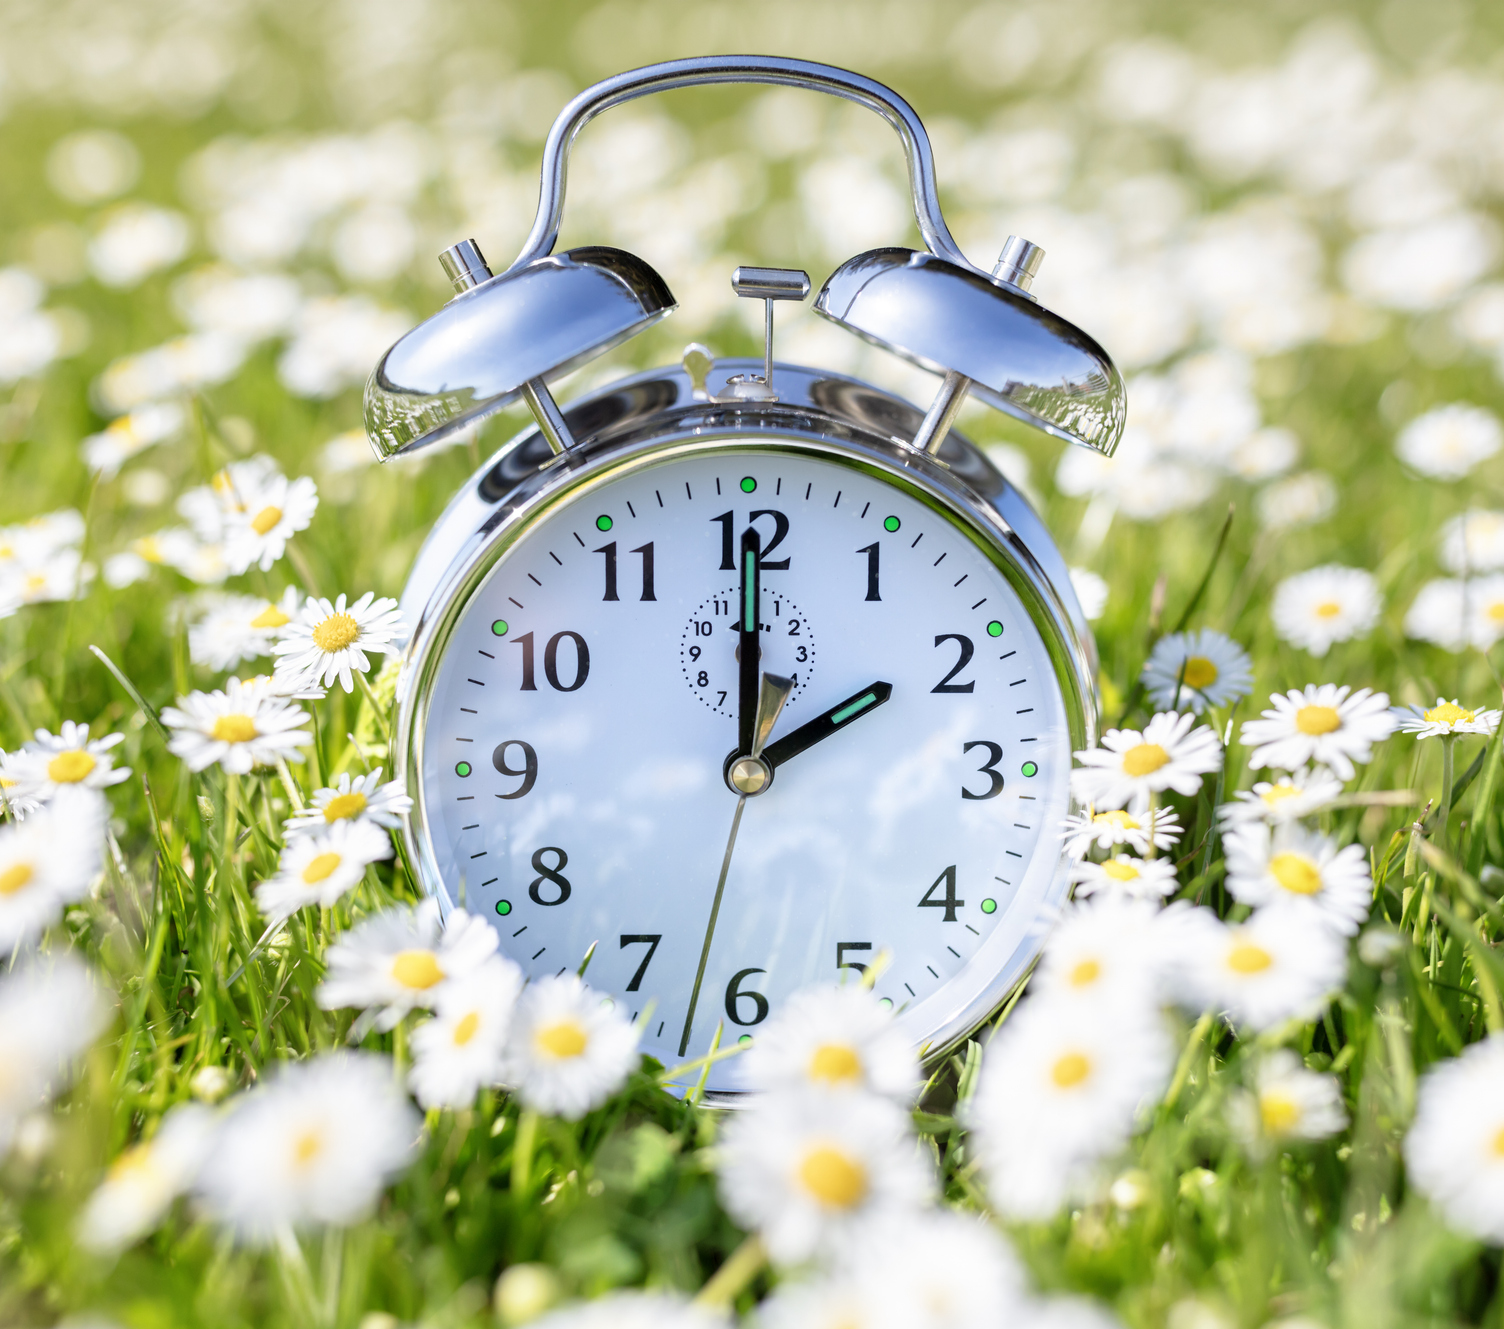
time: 2:00
